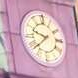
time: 9:38
